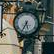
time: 5:34
